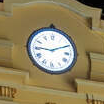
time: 9:10
